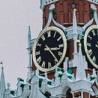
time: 3:23
